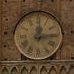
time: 12:14
